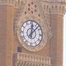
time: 12:07
